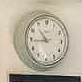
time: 10:44
